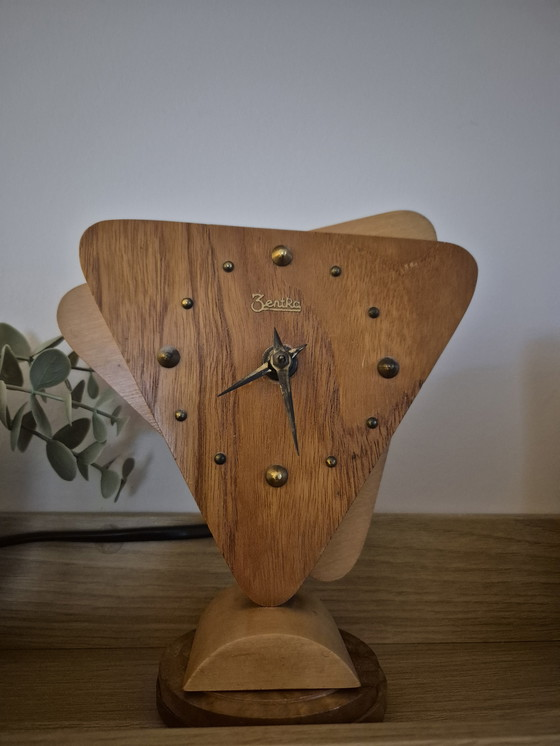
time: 8:27
